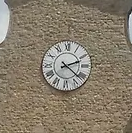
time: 2:21
